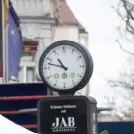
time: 10:47
